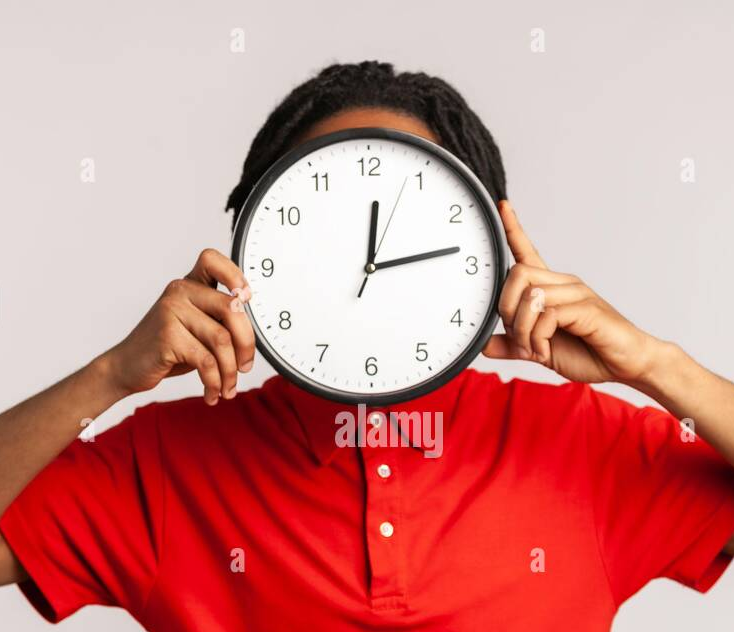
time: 12:13
